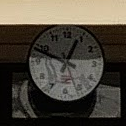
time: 12:48
